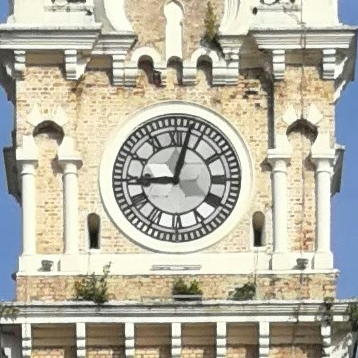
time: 9:02
